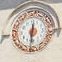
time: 6:30
